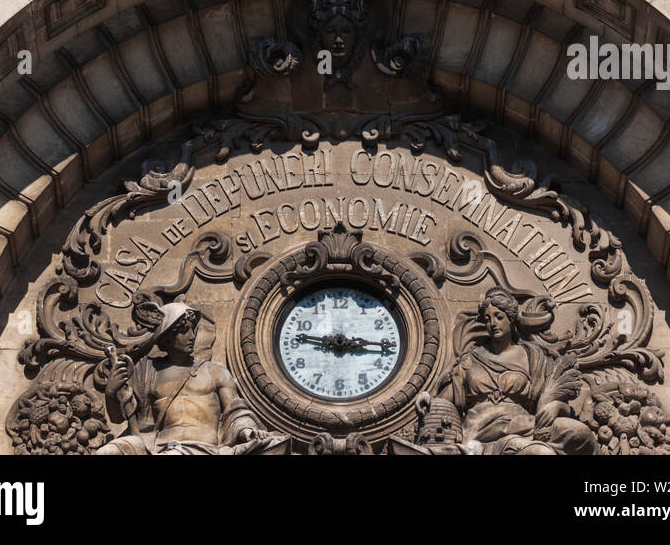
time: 9:16
